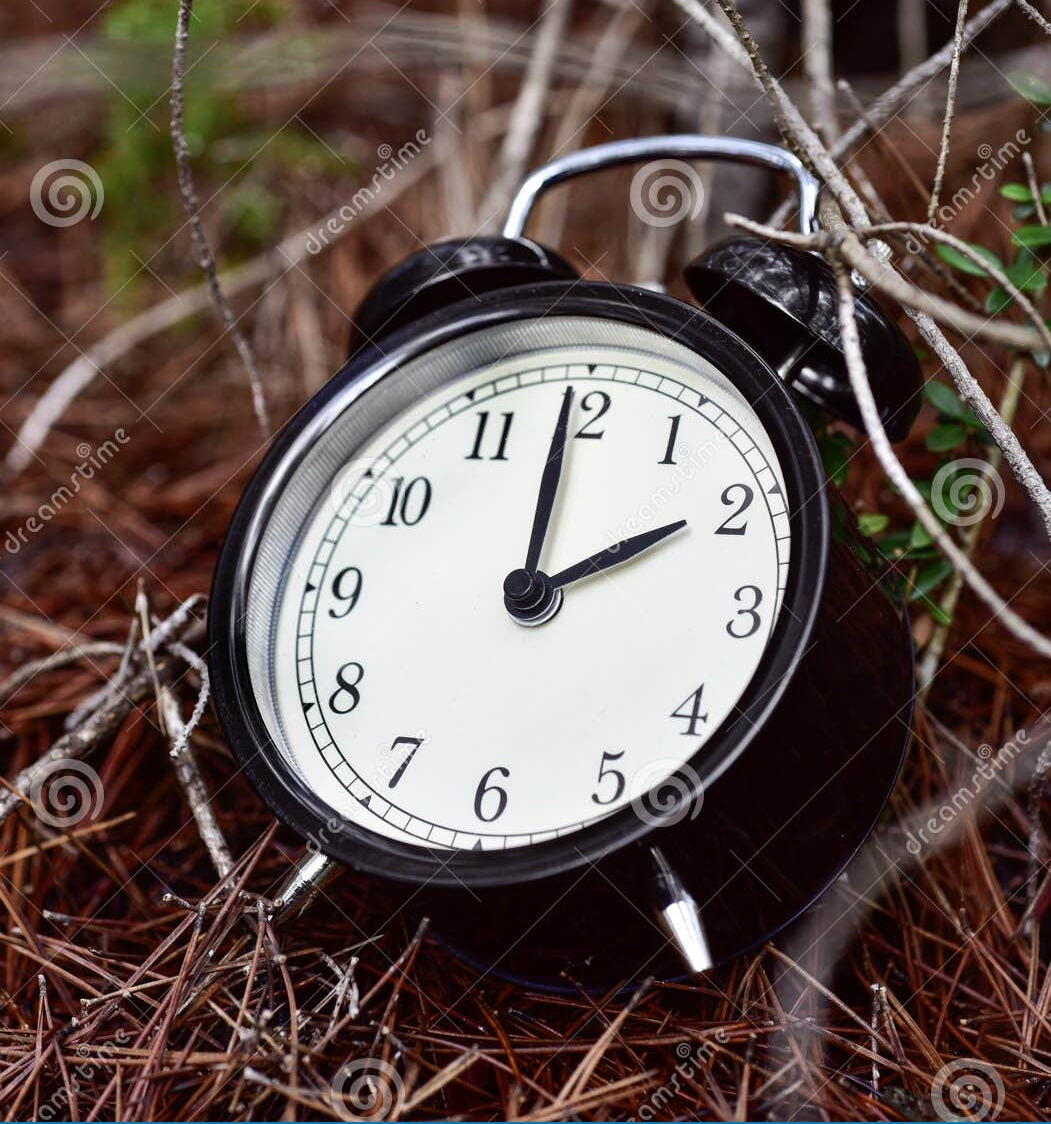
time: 1:59
